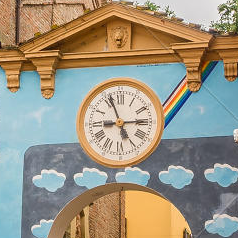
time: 2:56
